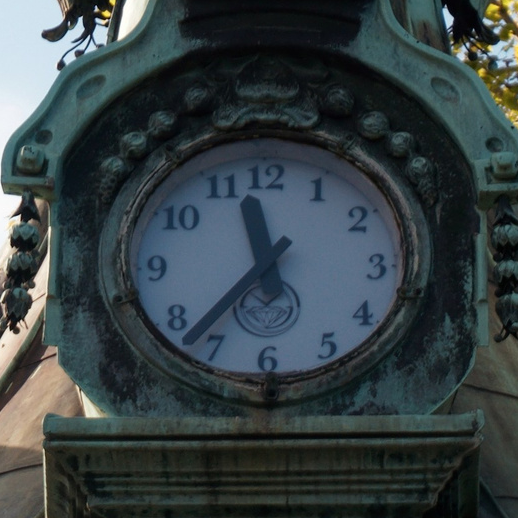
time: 11:36
